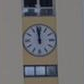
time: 11:58
